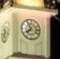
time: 7:55
